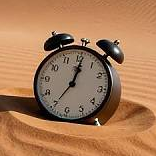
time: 7:01
